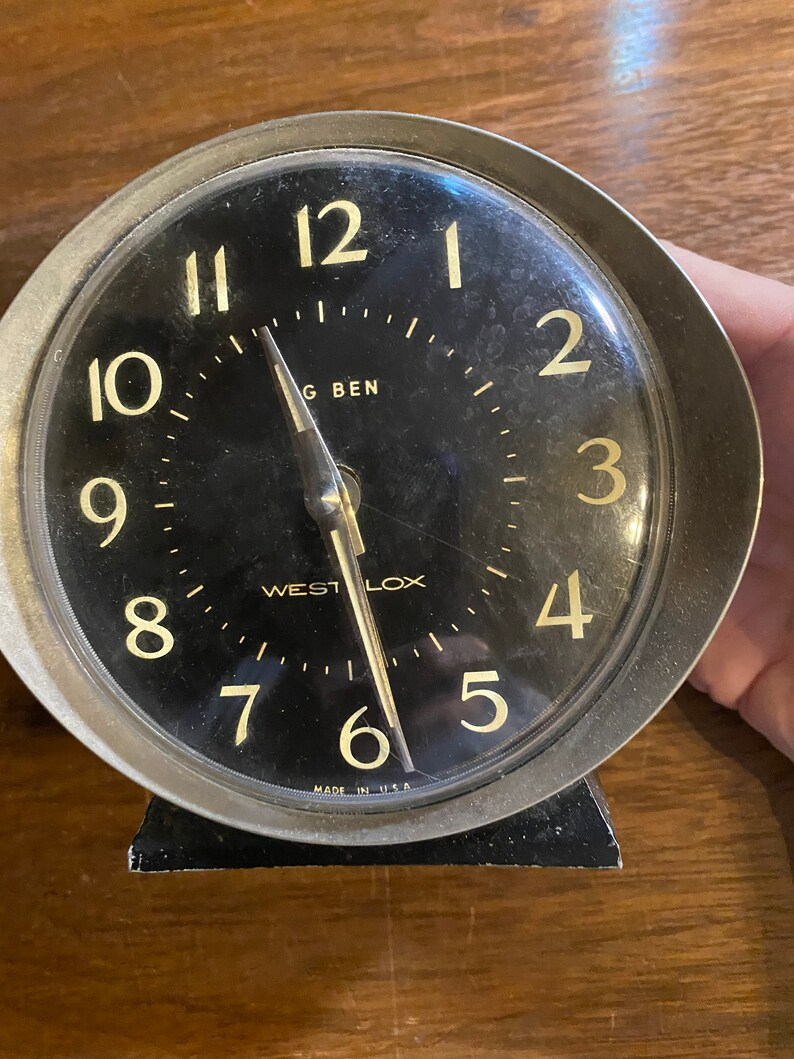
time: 11:28
